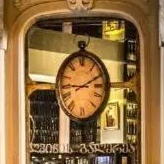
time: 9:10
